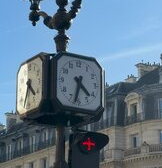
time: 4:32
